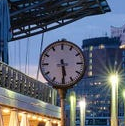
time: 5:29
